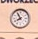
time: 7:55
